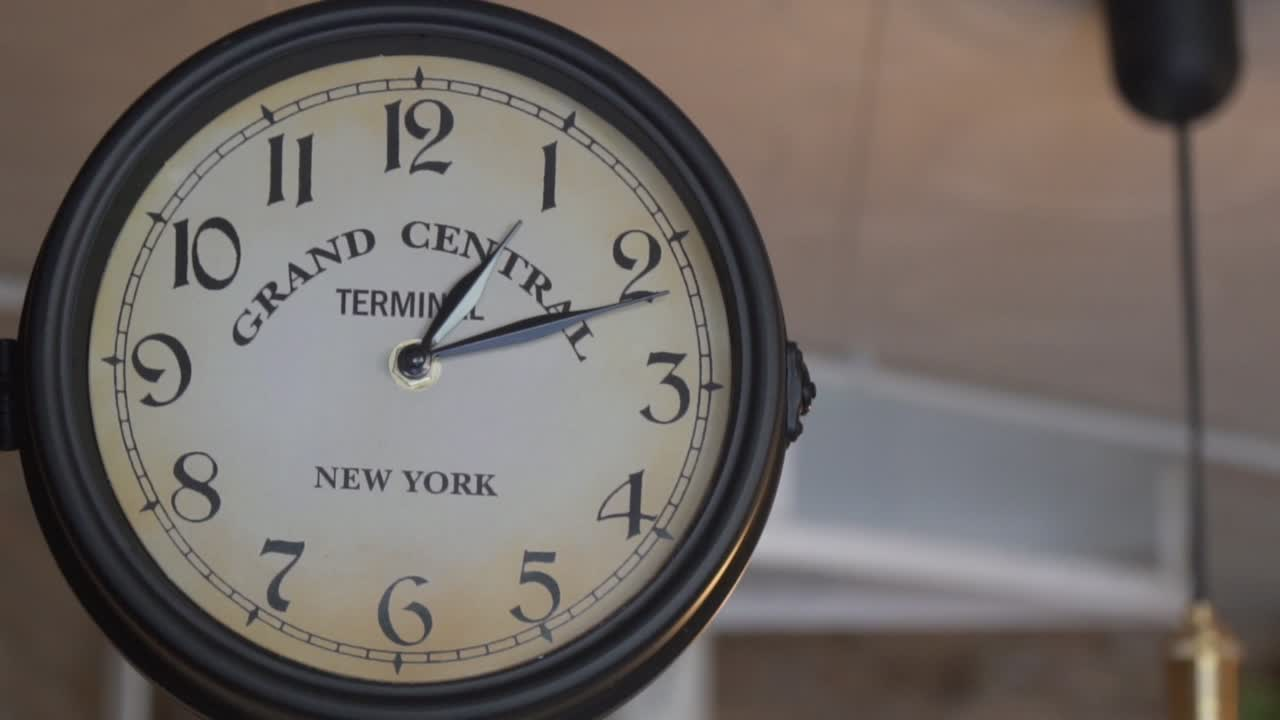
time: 1:11
